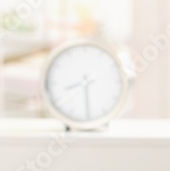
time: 8:29
